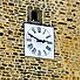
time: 2:49
